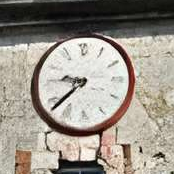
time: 9:38
